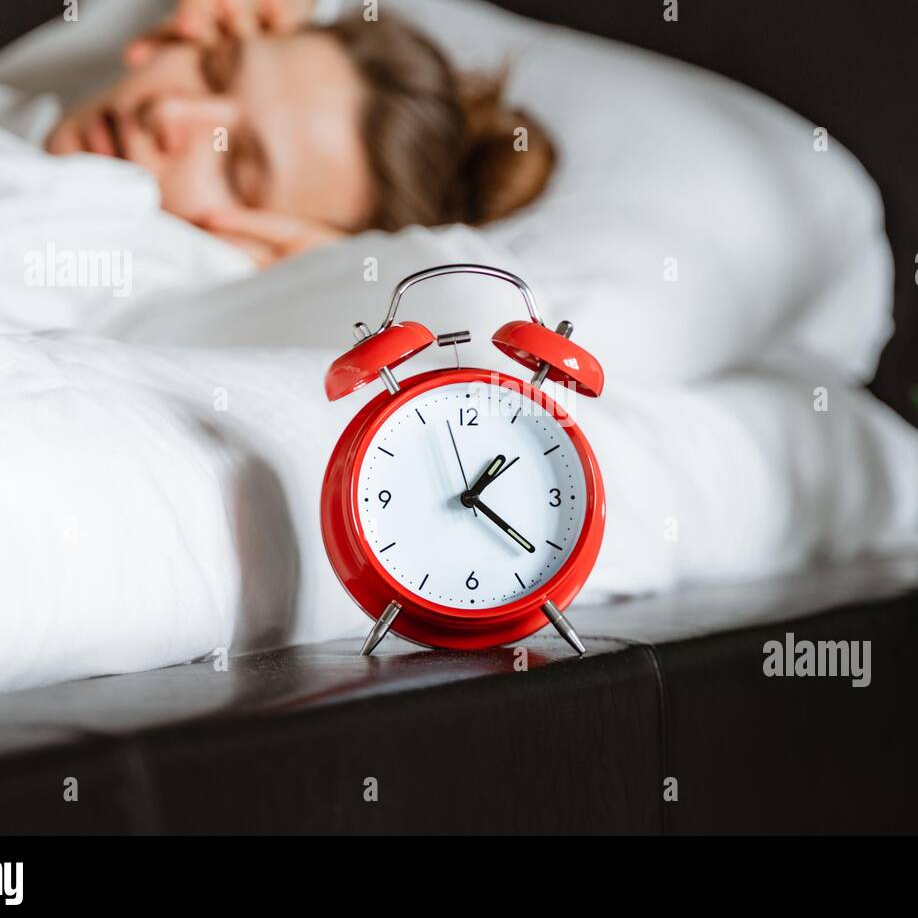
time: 1:21
